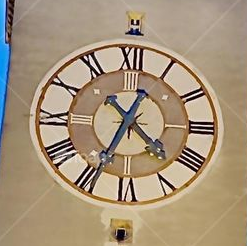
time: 4:34
